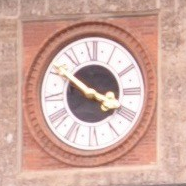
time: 3:50
